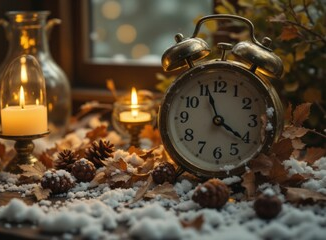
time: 11:21
